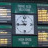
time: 10:45
